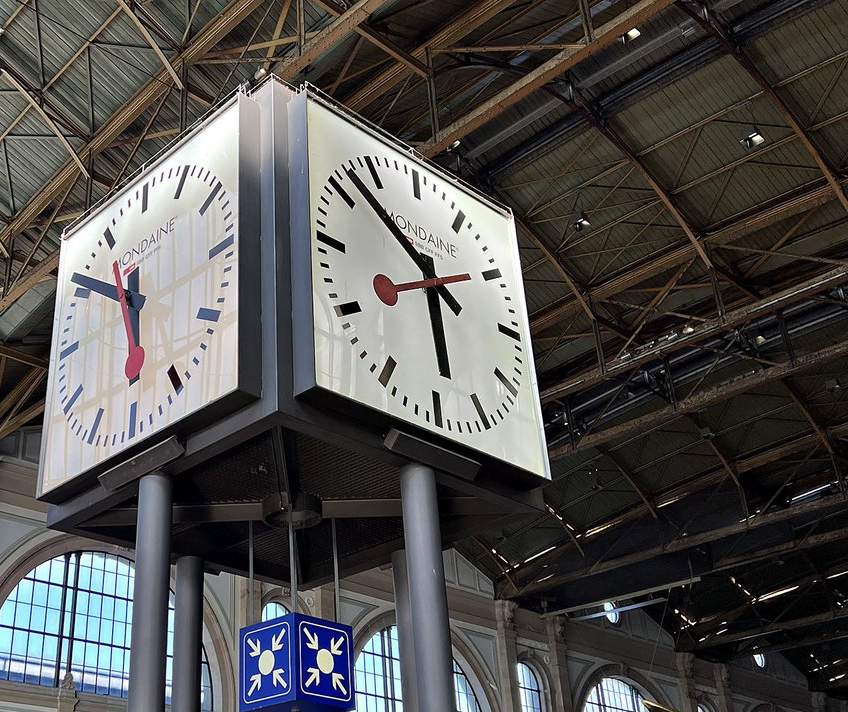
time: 5:51
